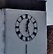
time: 12:26
